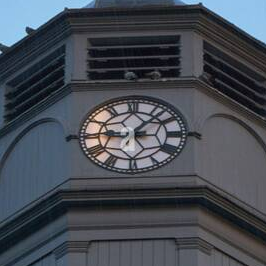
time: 9:07
